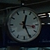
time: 12:25
